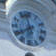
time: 7:57
